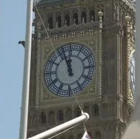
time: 11:56
